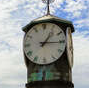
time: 1:15
